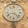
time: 8:22
